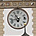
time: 10:43
